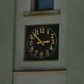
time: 2:52
